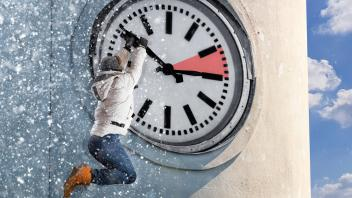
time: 2:50
